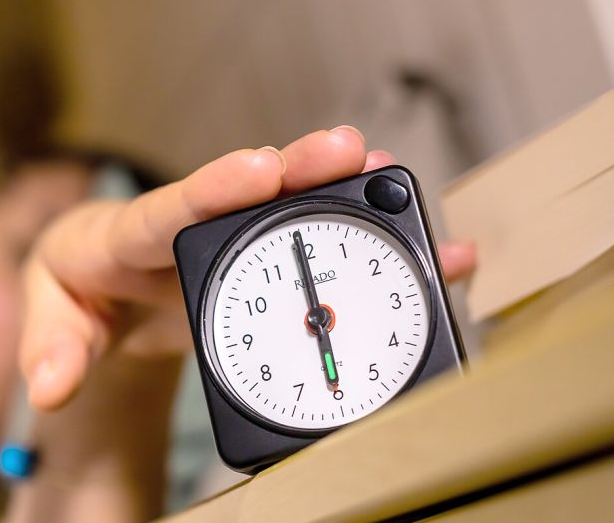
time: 5:59
